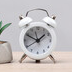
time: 1:49
